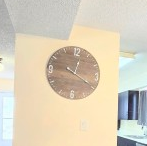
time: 12:19
